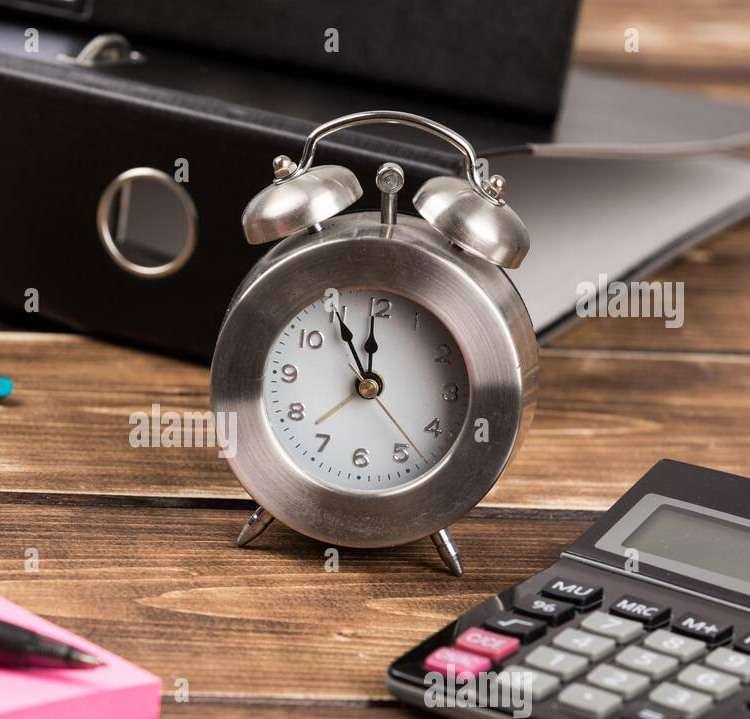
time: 11:55
